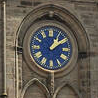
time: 1:09
